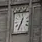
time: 12:34
